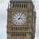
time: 3:04
